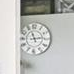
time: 11:13
